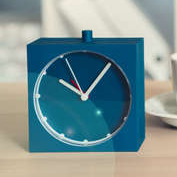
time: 10:06
